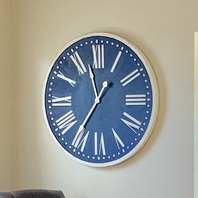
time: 11:35
